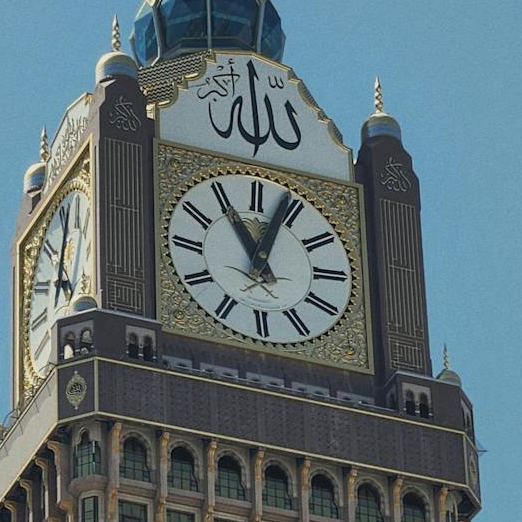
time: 11:03
